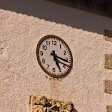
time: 5:16
